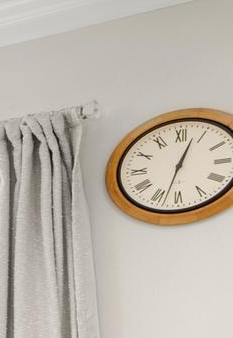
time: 12:32
